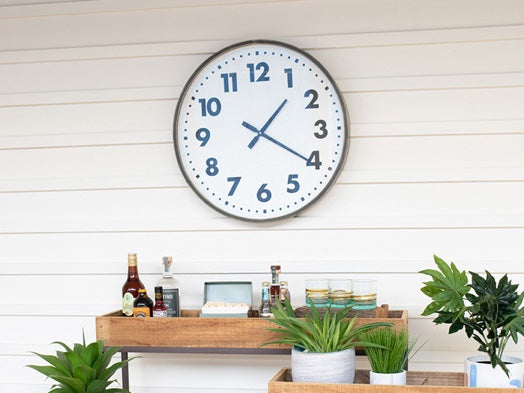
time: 1:20
